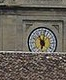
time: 11:02
